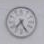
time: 7:25
